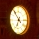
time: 6:53
